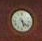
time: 5:21
